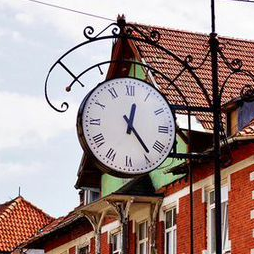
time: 12:23
